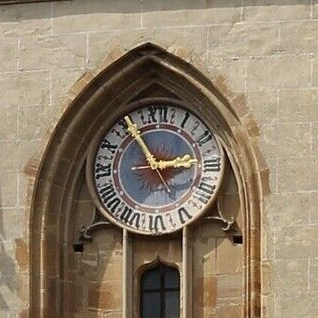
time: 2:54
